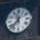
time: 11:37
